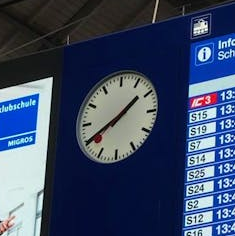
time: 1:40
